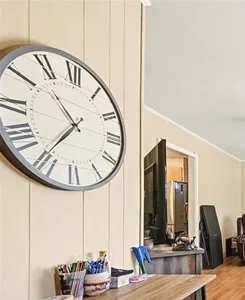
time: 10:36
